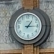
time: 1:15
